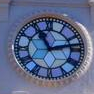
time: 11:12
